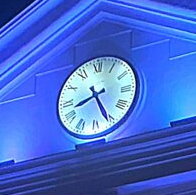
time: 8:25
